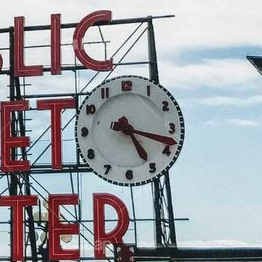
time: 5:18
